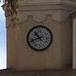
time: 10:41
